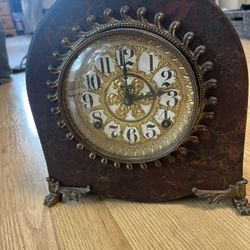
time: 2:59
